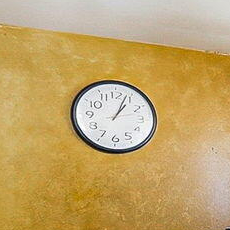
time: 1:03
